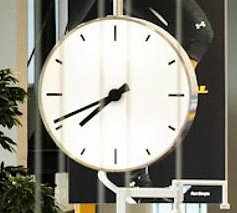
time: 7:41
